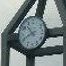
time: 10:41
